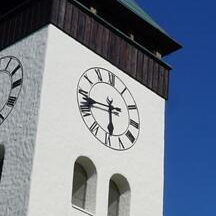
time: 5:42
